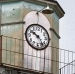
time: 10:24
